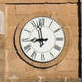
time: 8:57
